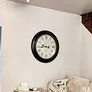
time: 9:43
